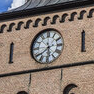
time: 5:38
